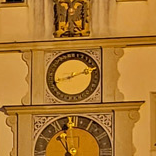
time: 8:11
